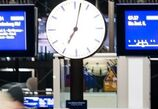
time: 7:02
